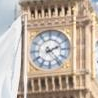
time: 2:23
